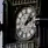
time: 2:06
